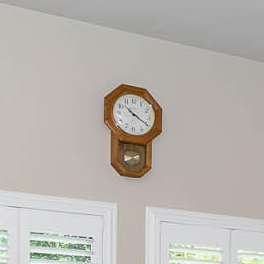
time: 10:20
